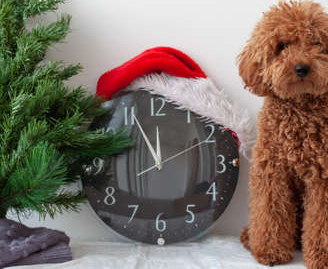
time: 11:55
